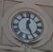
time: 5:00
